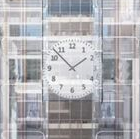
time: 1:52
